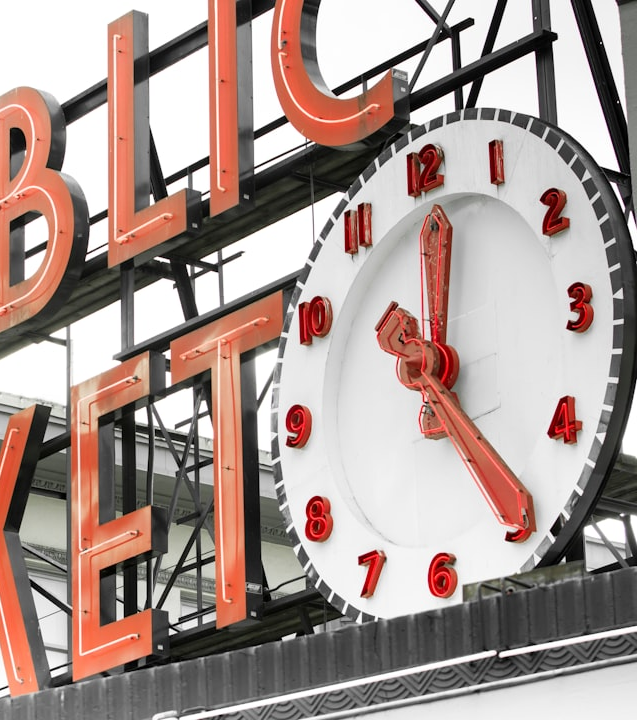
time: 12:24
